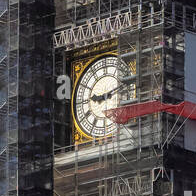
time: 9:11
